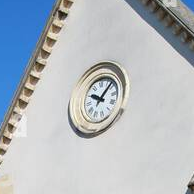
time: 10:07
